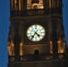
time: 4:36
